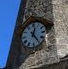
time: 12:23
